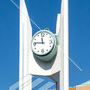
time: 11:46
